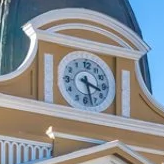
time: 3:27
